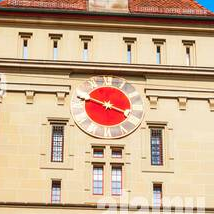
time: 3:48
